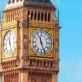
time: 11:25
